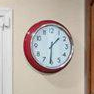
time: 1:30
